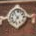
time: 6:53
